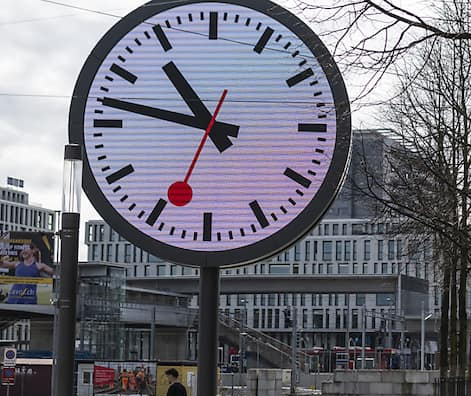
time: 10:47
